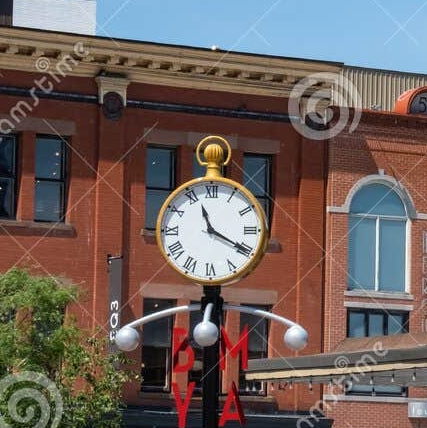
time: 11:19
